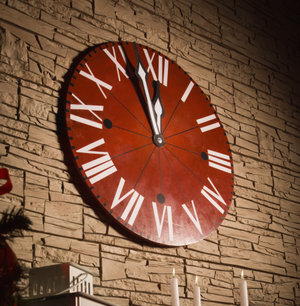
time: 11:57
